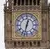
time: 12:32
